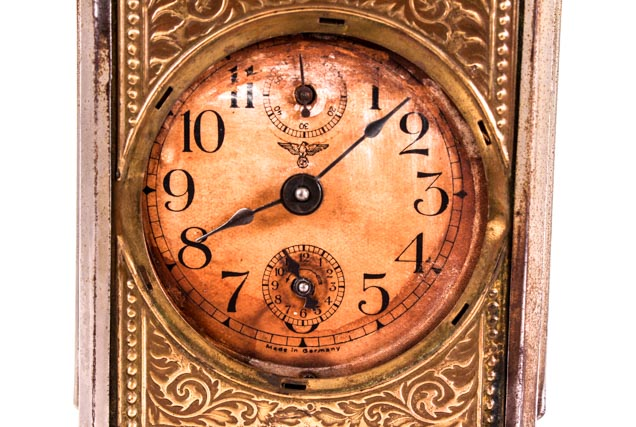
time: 8:07
